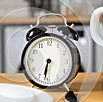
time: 6:31
